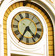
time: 4:35
